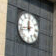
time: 11:42
